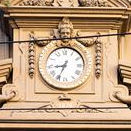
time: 8:34
